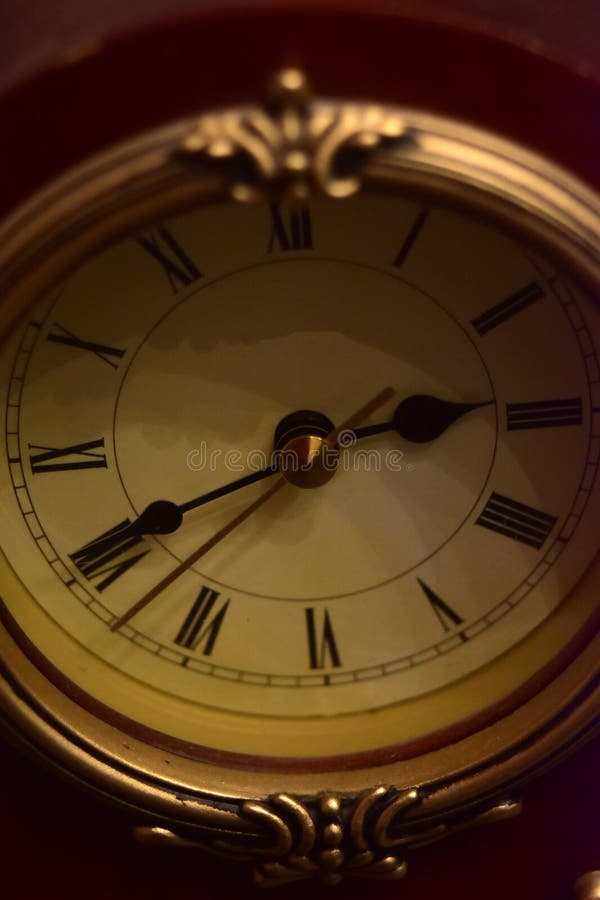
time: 2:40
